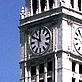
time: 11:49
